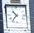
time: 10:36
